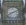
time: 8:11
